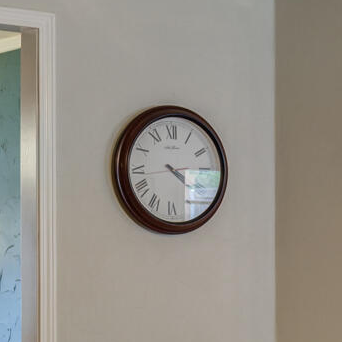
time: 4:14
